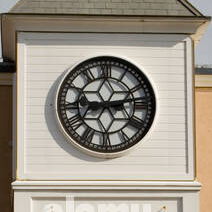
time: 9:13
